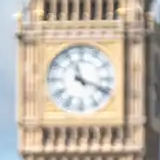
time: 11:18
